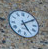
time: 5:09
